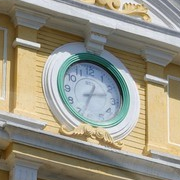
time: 2:33
